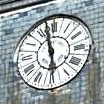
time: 5:57
